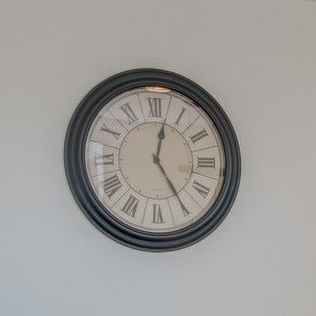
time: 12:24
